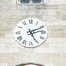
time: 5:11
